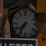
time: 7:35
